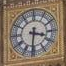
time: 3:31
